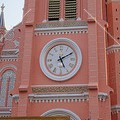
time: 5:10
